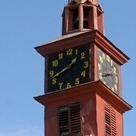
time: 1:41
